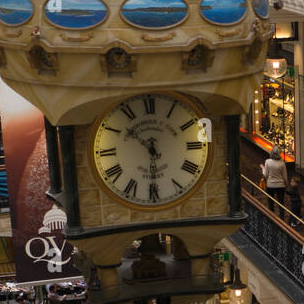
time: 10:30
